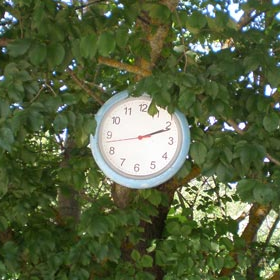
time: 2:11
